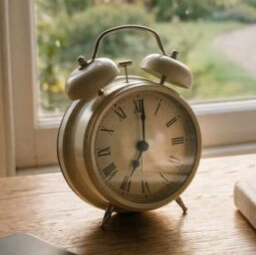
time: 7:01
